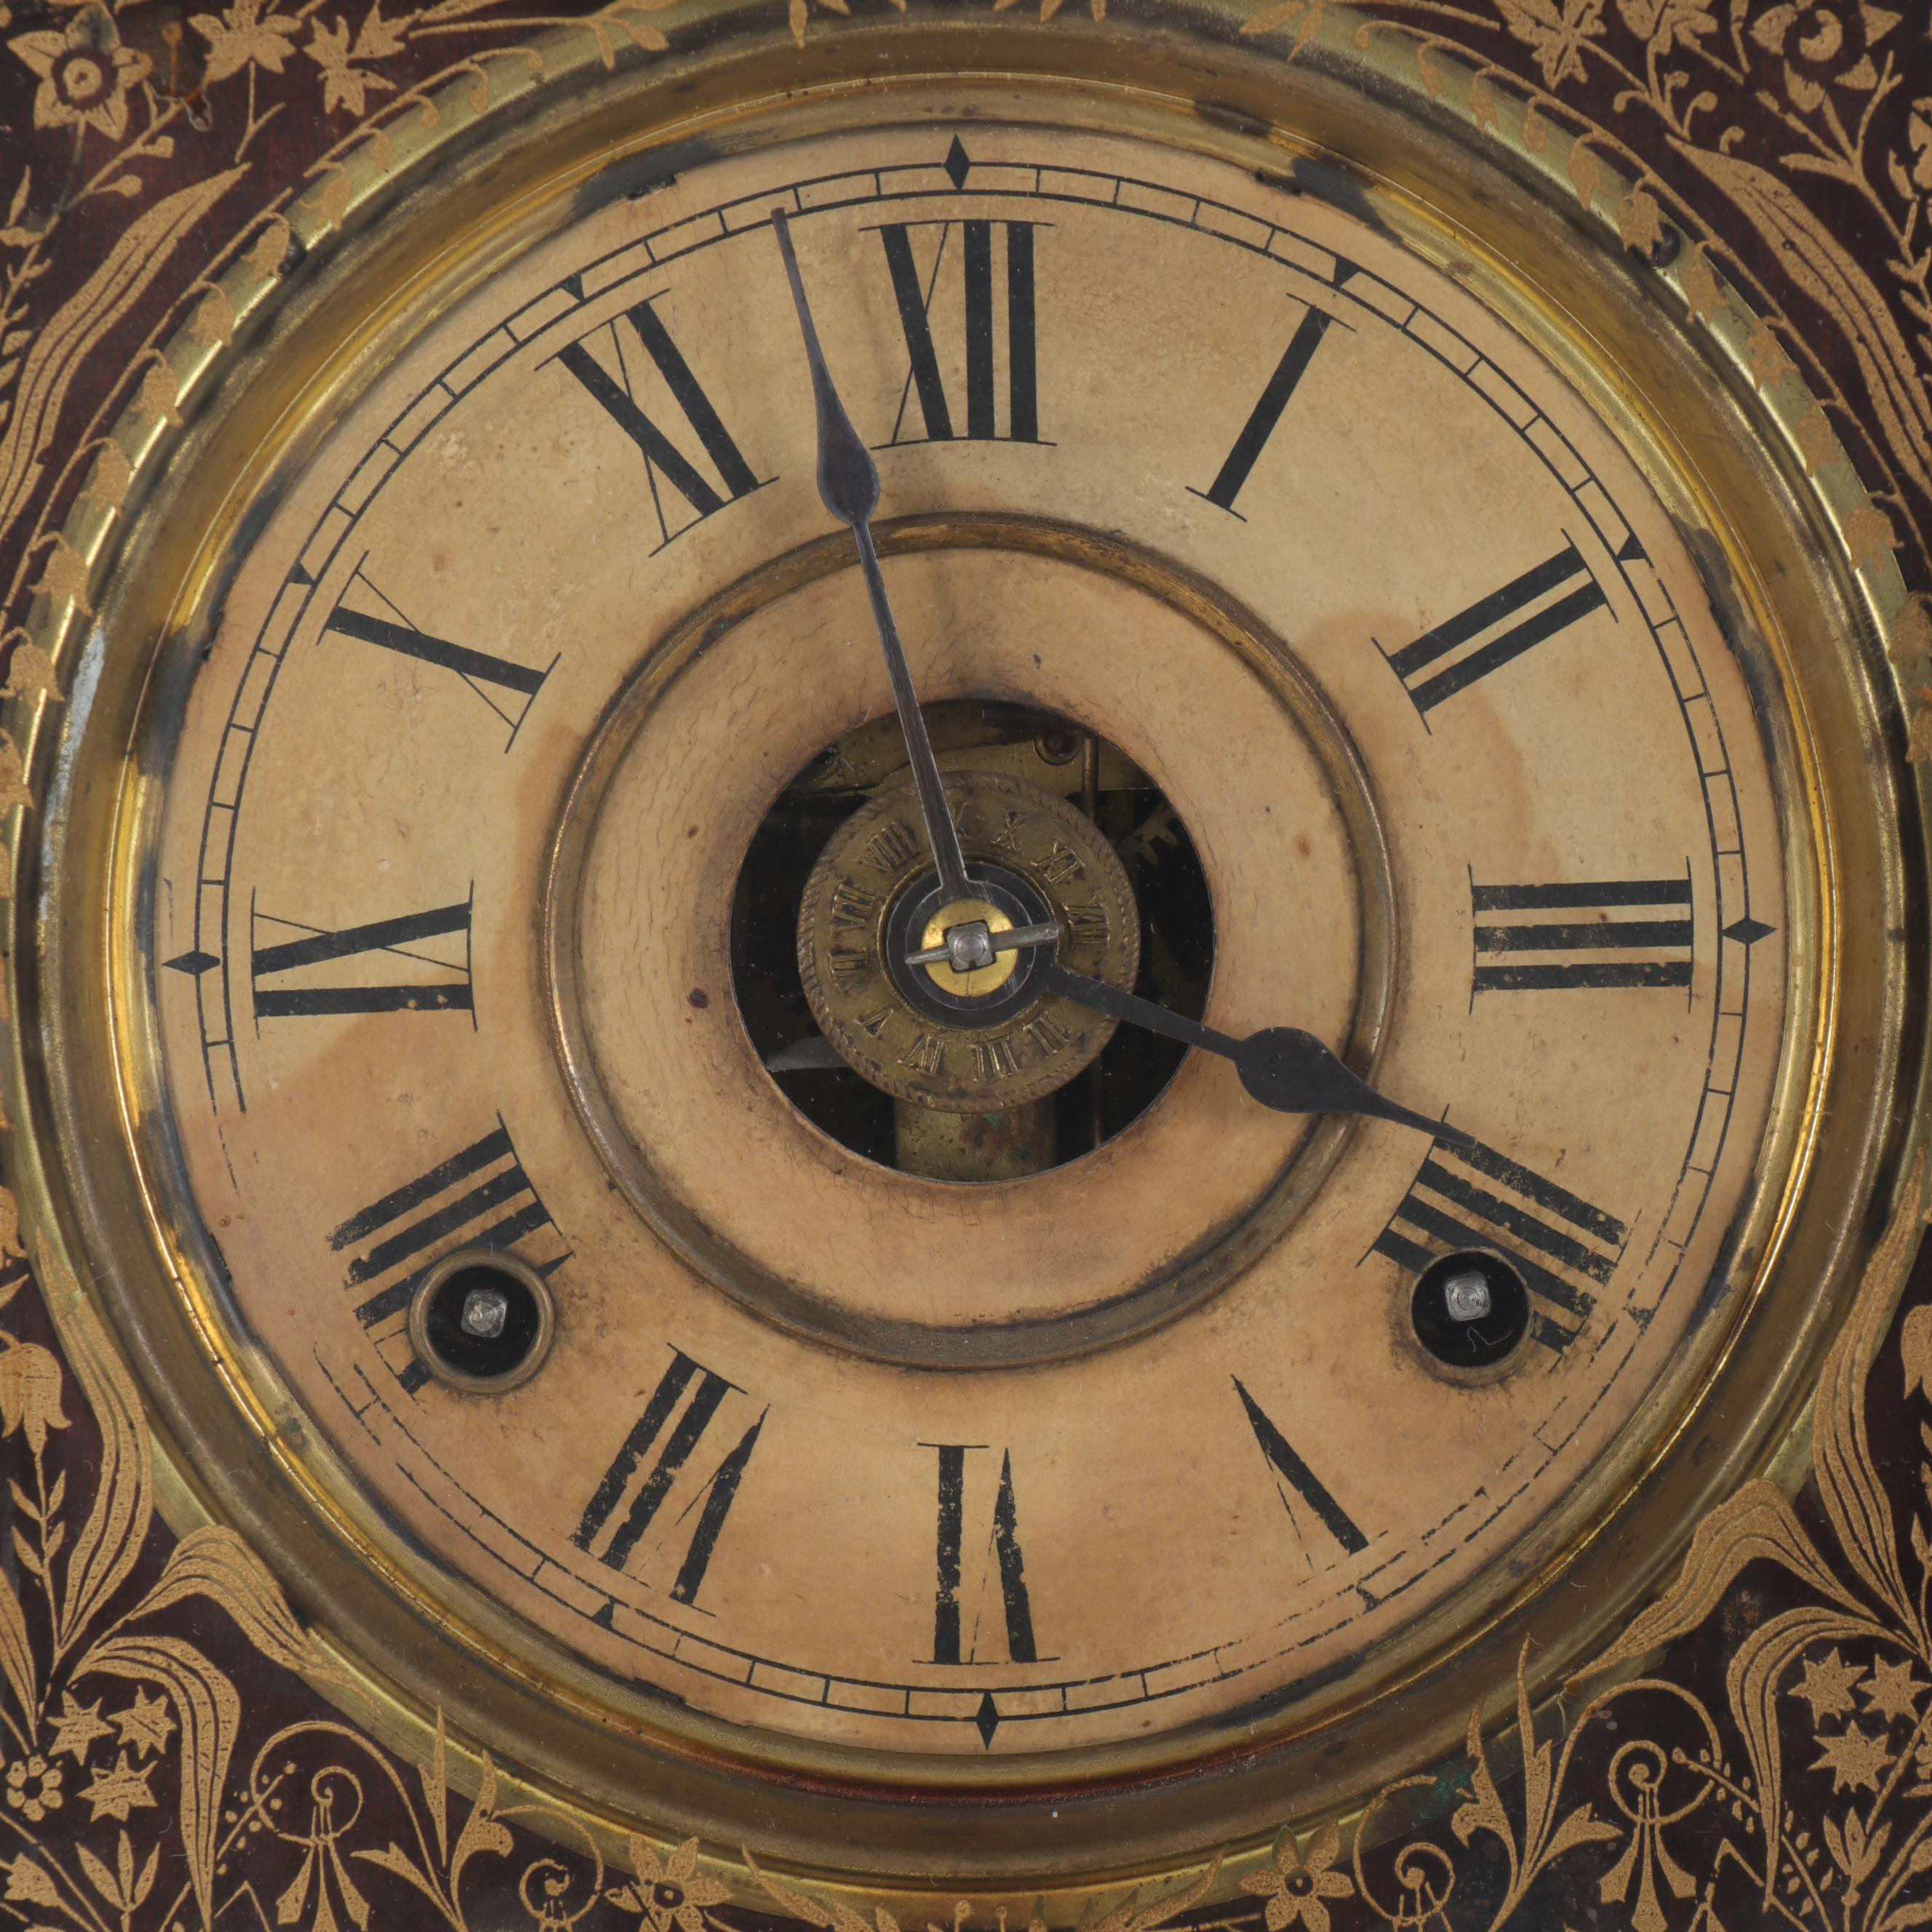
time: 3:57
